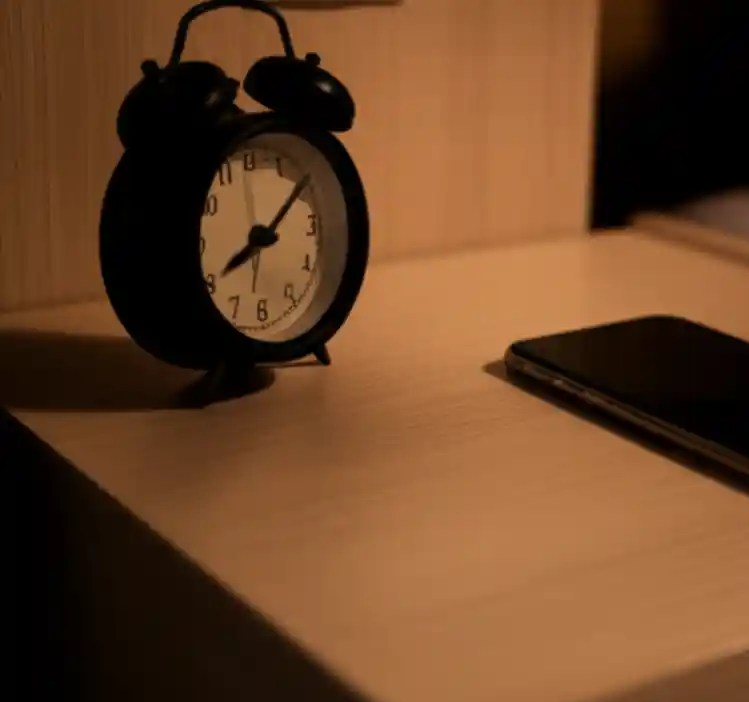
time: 8:08
